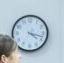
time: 4:17
